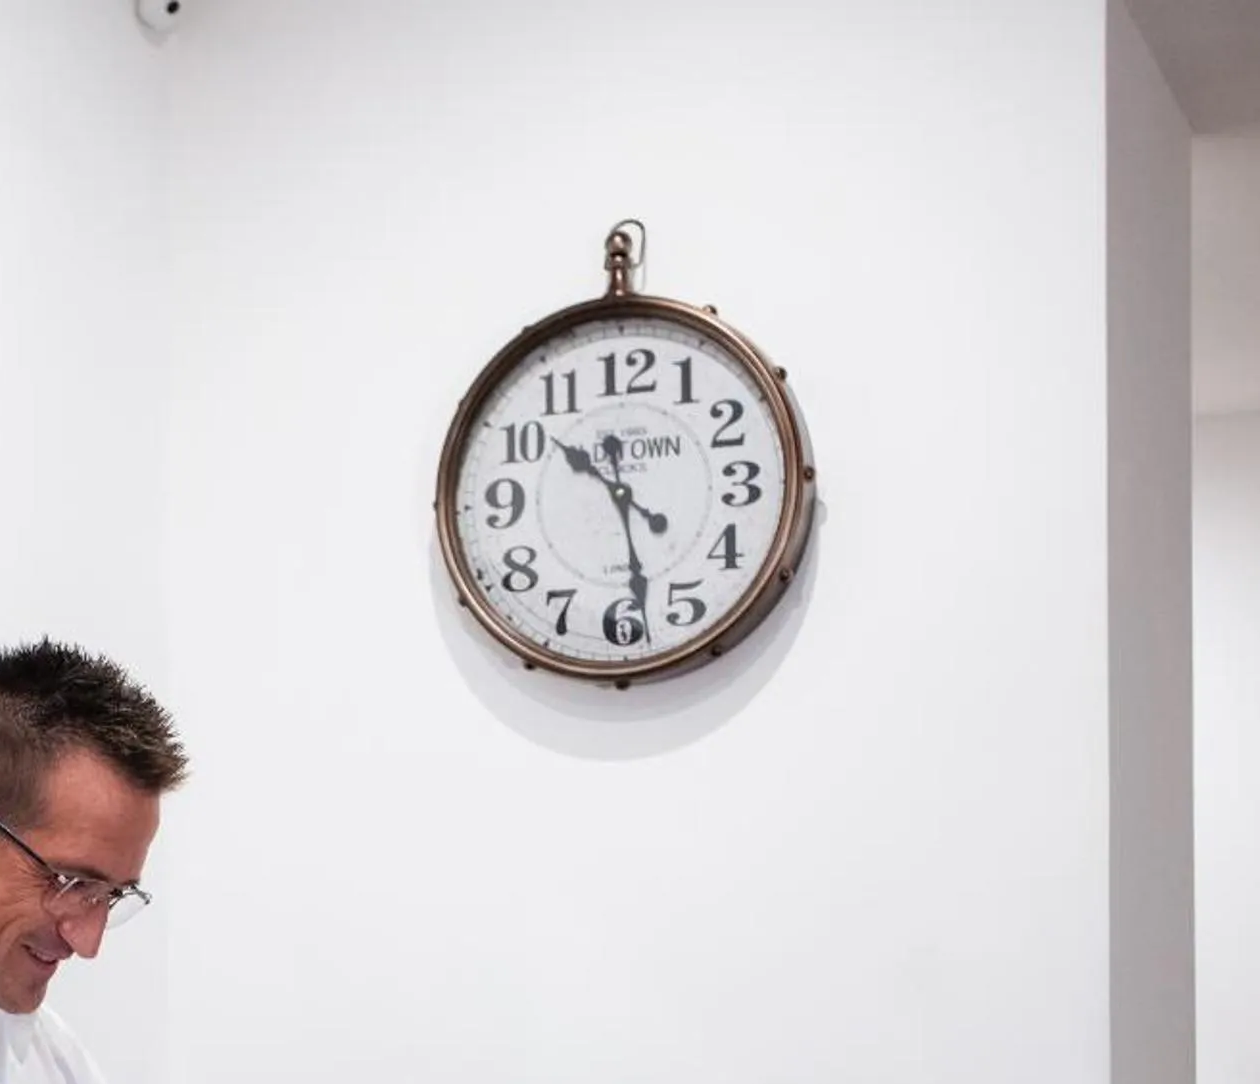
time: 10:28
